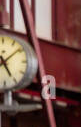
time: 5:08
